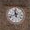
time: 11:41
